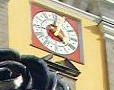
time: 4:01
